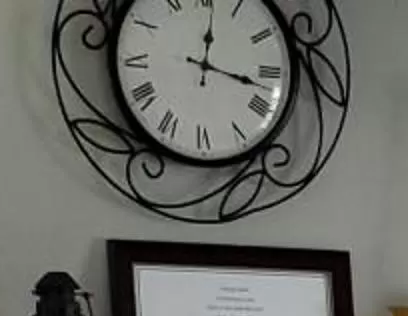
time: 12:17
